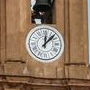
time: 12:07
